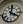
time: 4:01
